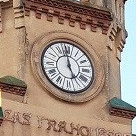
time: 4:58
